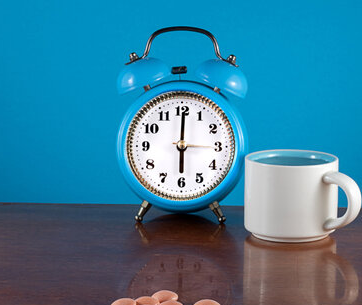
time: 6:00
